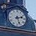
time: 2:26
